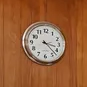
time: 3:22
